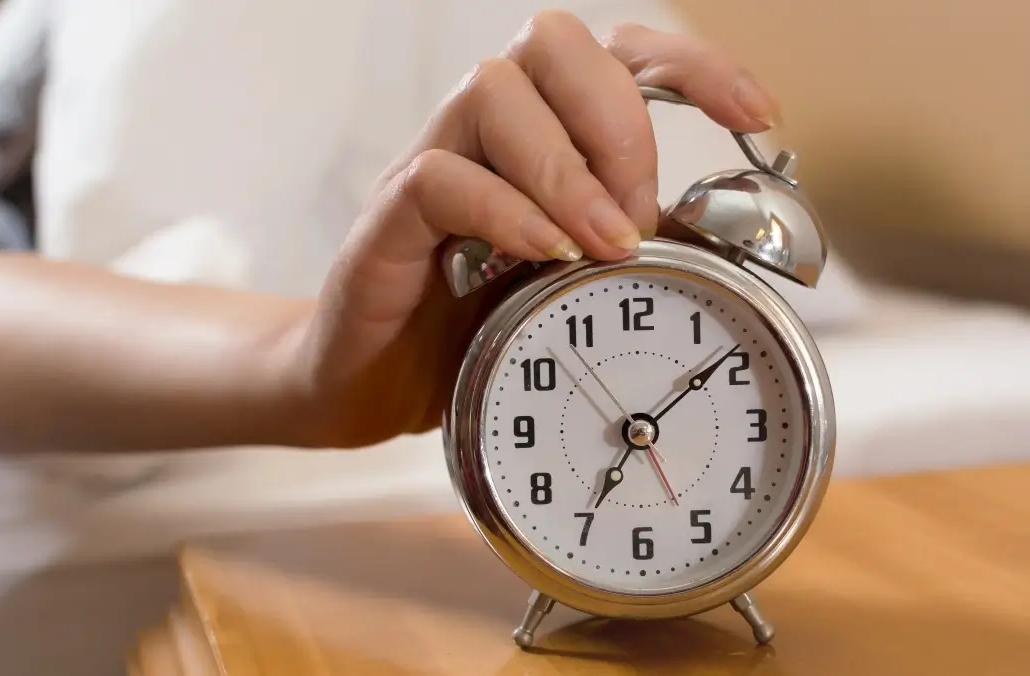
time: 7:08
